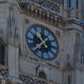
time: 10:37
